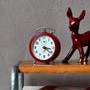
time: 3:21
